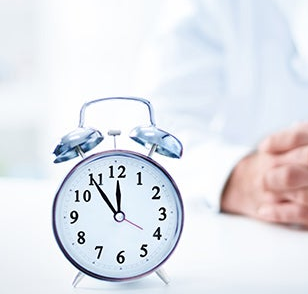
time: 11:54
